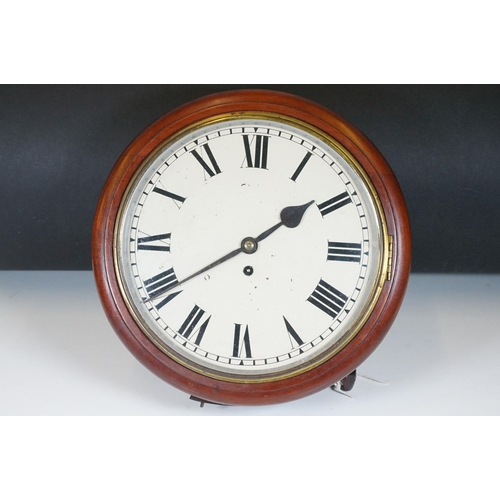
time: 1:39
